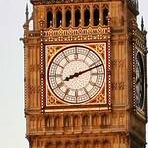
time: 8:11
